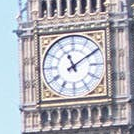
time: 11:09
